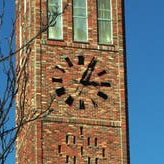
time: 3:04
